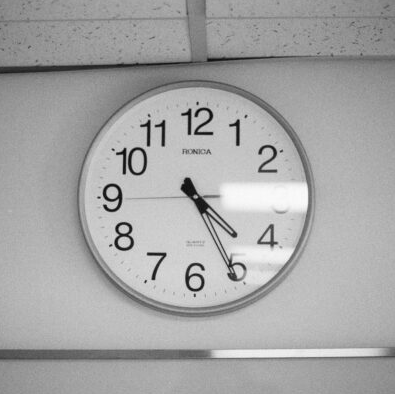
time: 4:25
